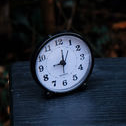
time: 9:01
